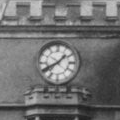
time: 1:40
